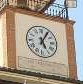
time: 5:05
